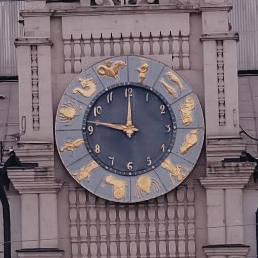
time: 11:46
